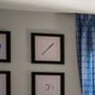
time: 1:37
